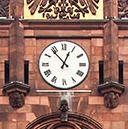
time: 12:53
